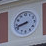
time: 8:42
